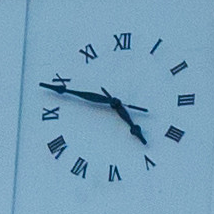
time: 4:48
